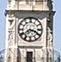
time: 3:39
